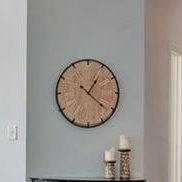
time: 1:21
